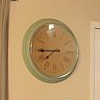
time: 7:44
